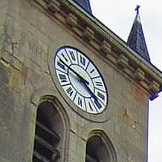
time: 4:46
